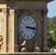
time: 3:16
